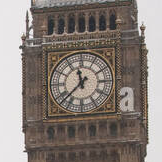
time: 11:37
